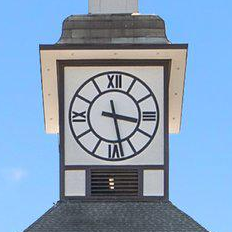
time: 3:28
